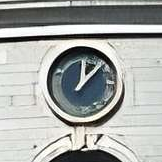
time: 12:07
